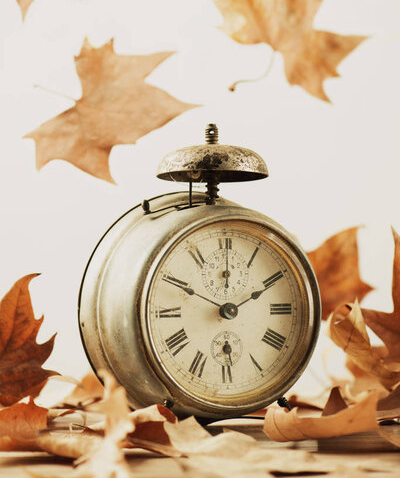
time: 1:49
